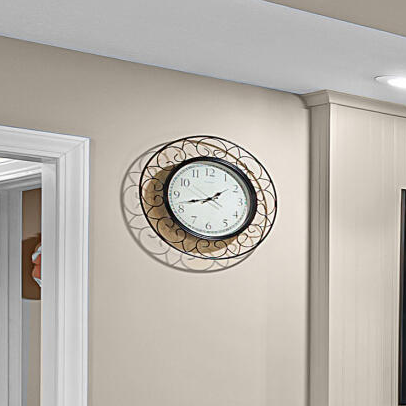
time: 1:42
